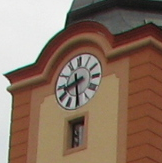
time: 8:29
